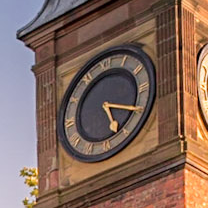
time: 5:19
